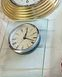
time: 12:17
